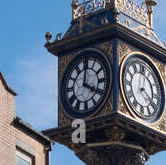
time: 4:01
